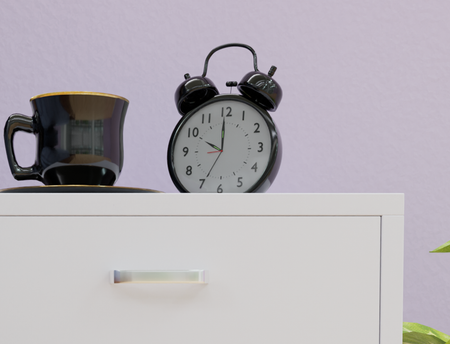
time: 10:00
